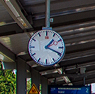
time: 1:18
